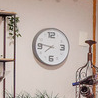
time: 7:46
